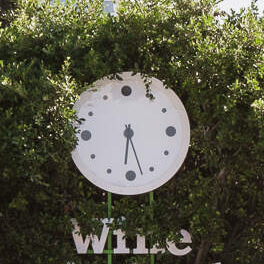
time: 6:27
